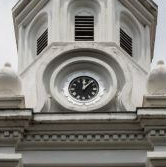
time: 12:07
